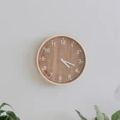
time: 4:18
